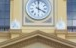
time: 4:00
